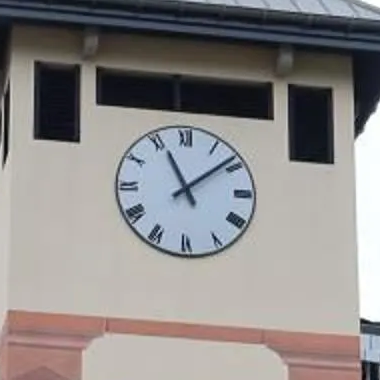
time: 11:08
